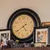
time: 4:39
